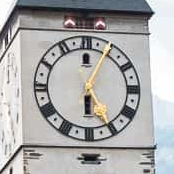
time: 6:04
